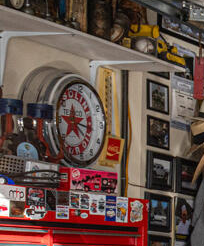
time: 3:22
